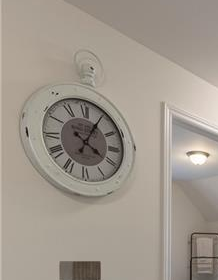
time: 4:04
